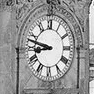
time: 8:47
